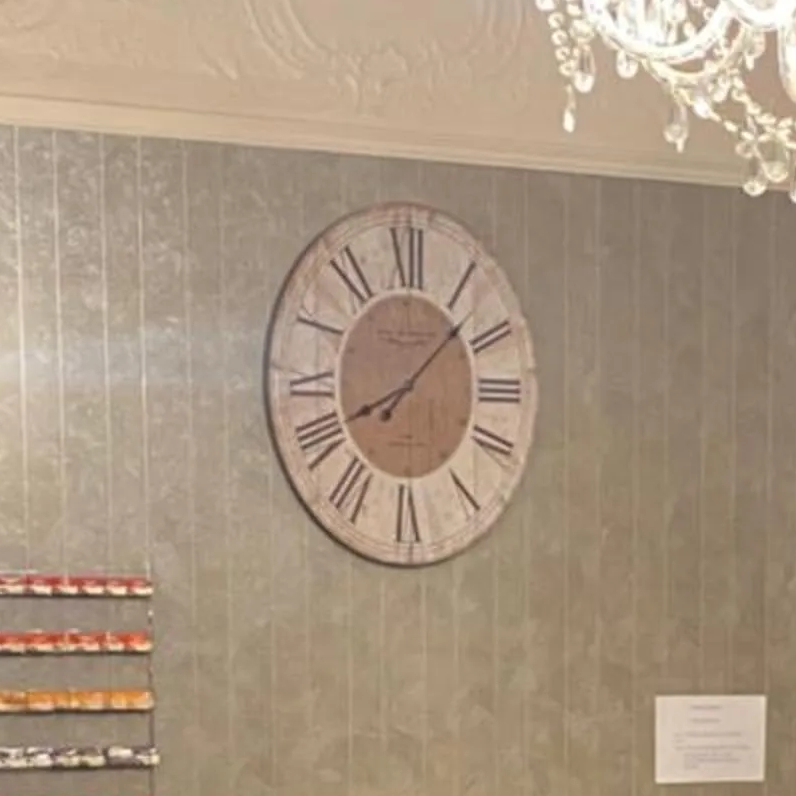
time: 8:07
